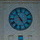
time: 4:54
